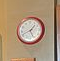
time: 1:26
